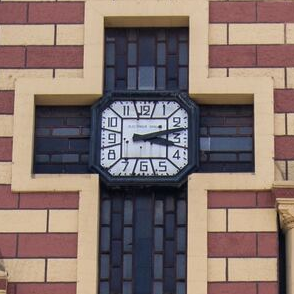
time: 3:12
